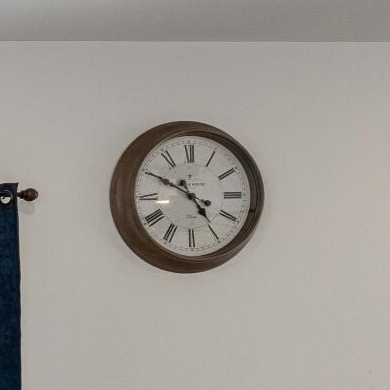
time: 4:49
